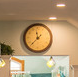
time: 11:37
